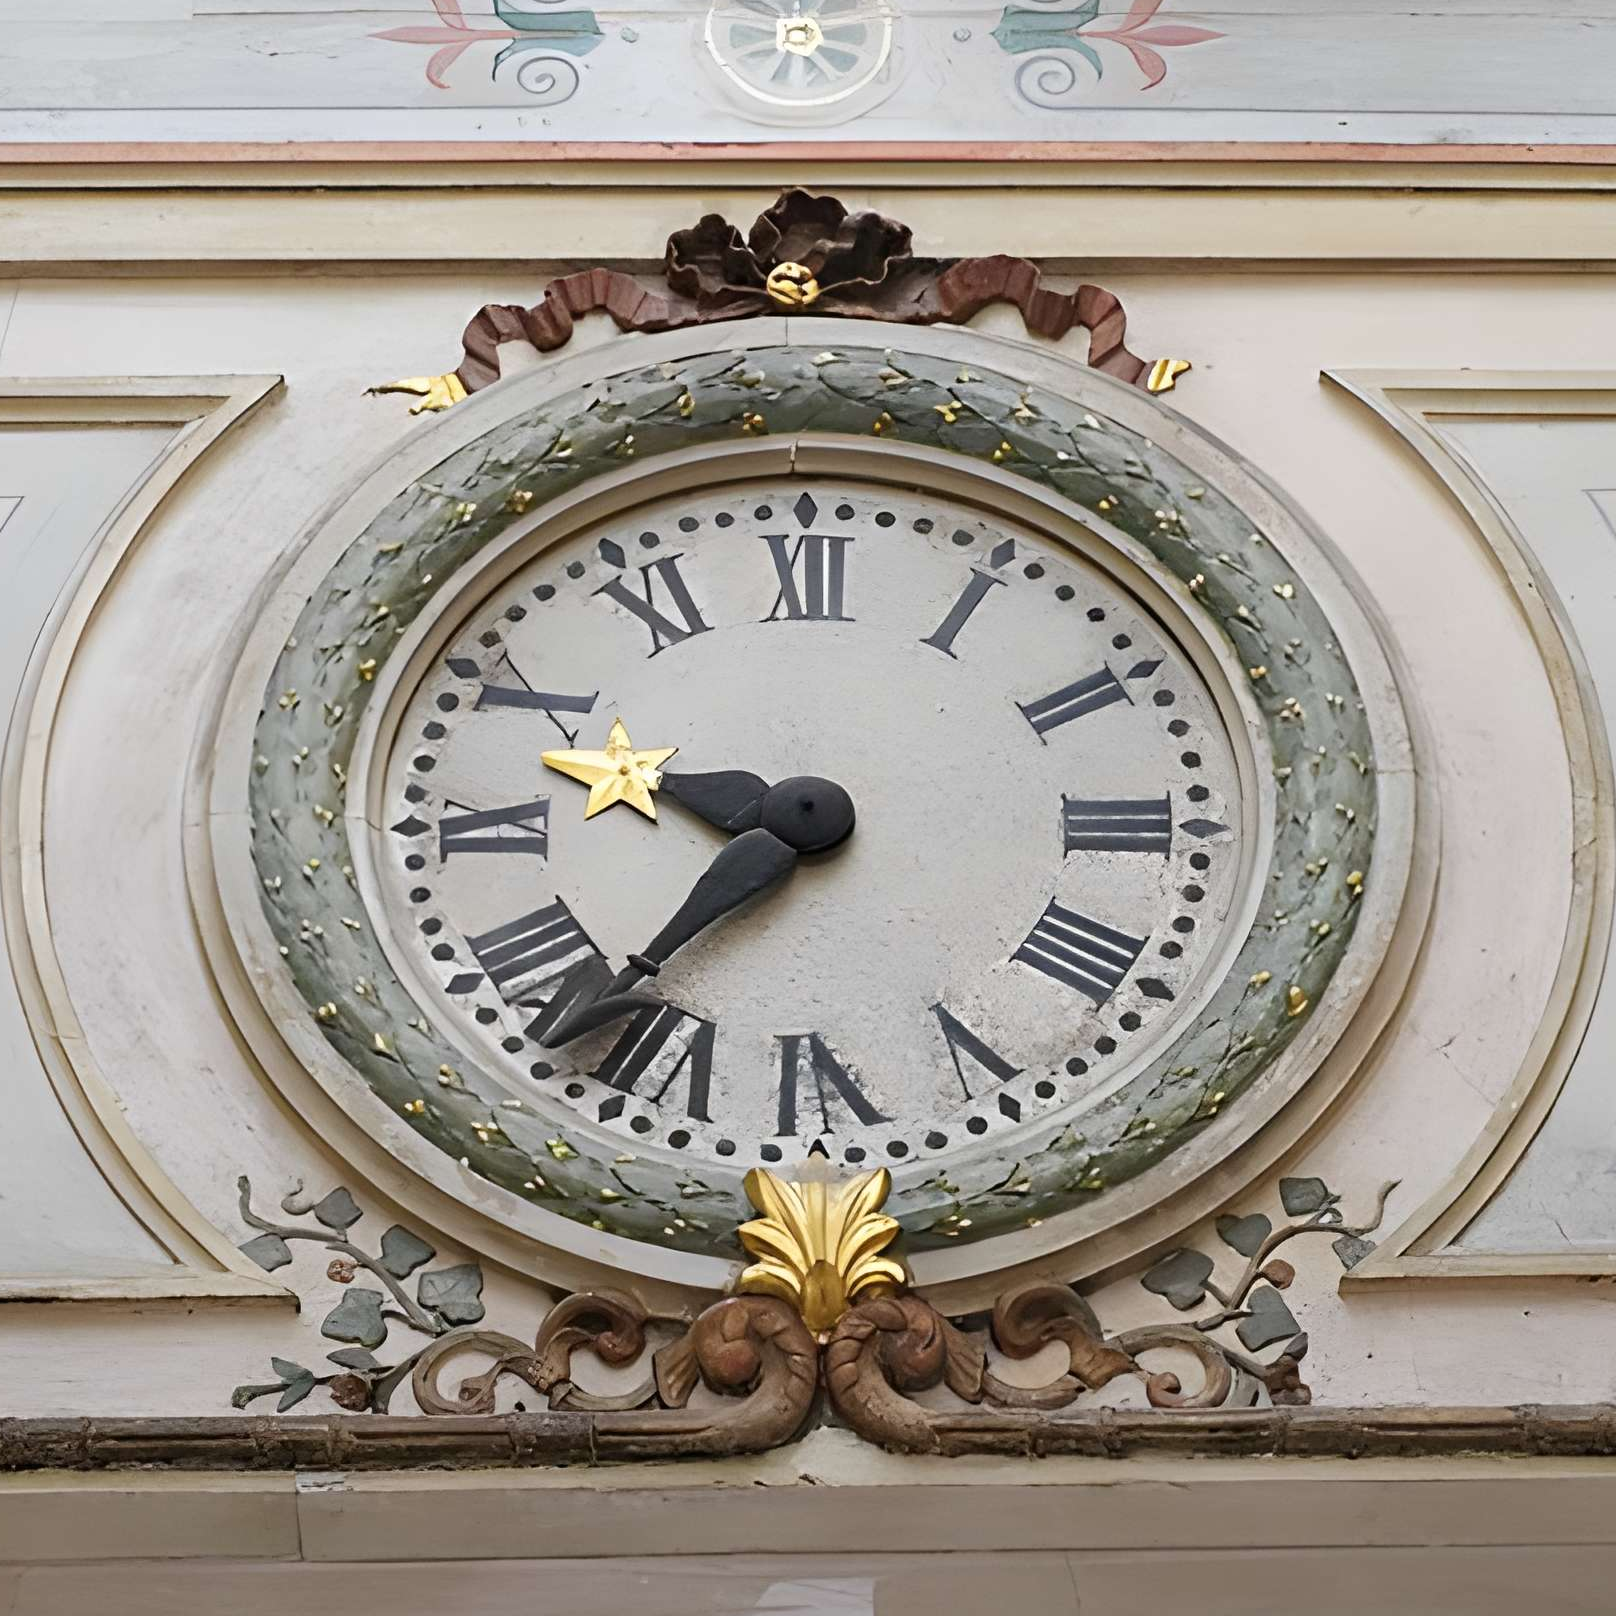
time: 9:36
